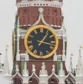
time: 1:17
